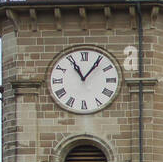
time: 11:06
